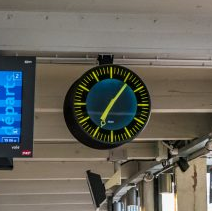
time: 7:06
